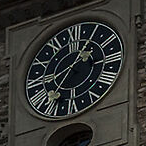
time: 1:36
